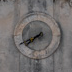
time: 7:40
